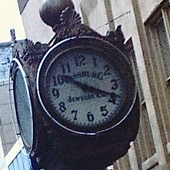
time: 10:18
